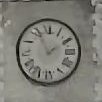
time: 1:56
